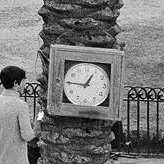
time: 12:45
